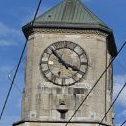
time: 3:52
